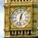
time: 12:32
